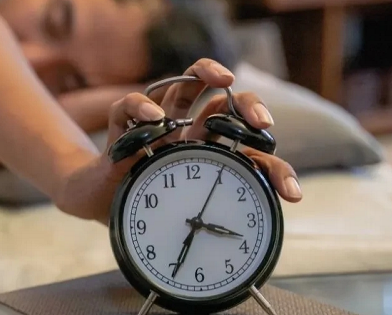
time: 3:34
